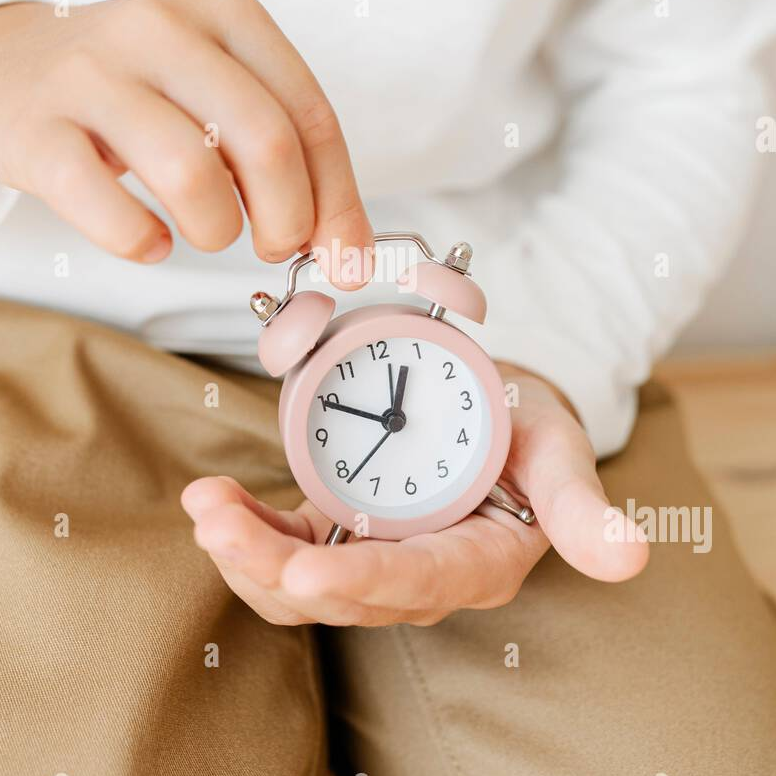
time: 12:49
